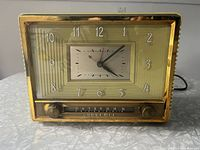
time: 4:07
